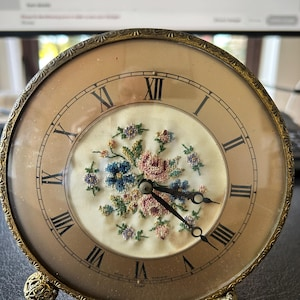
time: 3:21
